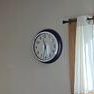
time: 11:32
